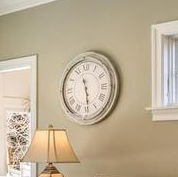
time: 11:29
